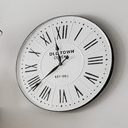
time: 11:38
